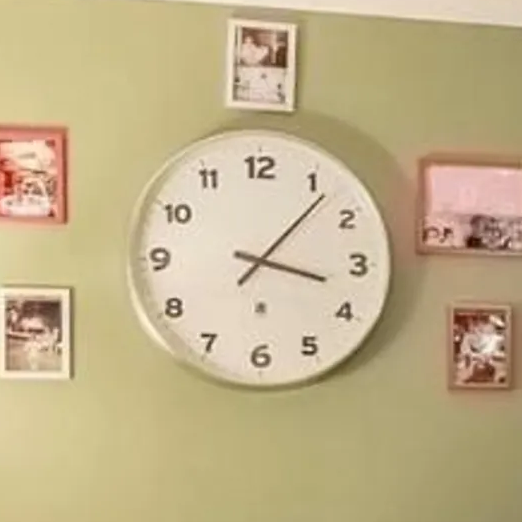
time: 3:06
